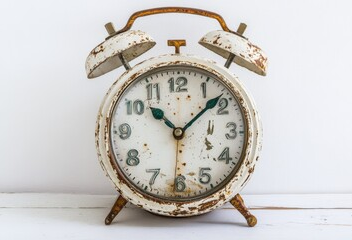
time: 10:07
